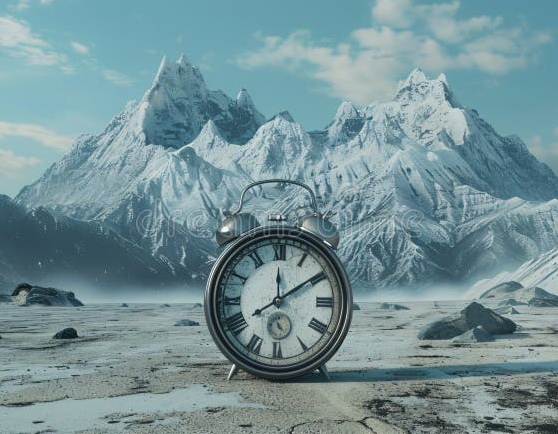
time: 12:09
